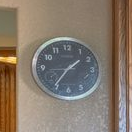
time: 1:36
